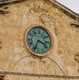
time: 3:34
